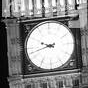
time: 9:42
